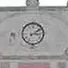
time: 3:09
